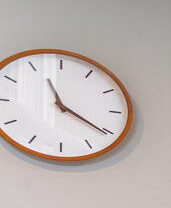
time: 11:20
